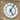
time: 5:05
